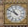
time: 10:50
